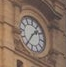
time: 1:35
